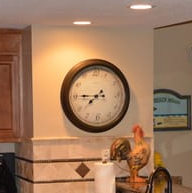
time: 7:45
